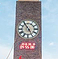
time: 4:54
